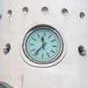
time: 11:36
